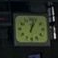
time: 12:03
